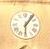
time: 6:06
